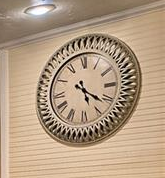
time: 5:21
